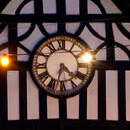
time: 4:32
